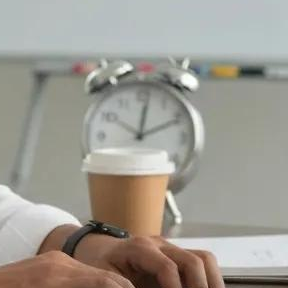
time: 12:11
